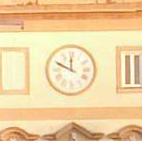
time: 11:49
